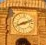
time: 8:11
